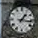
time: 1:16
